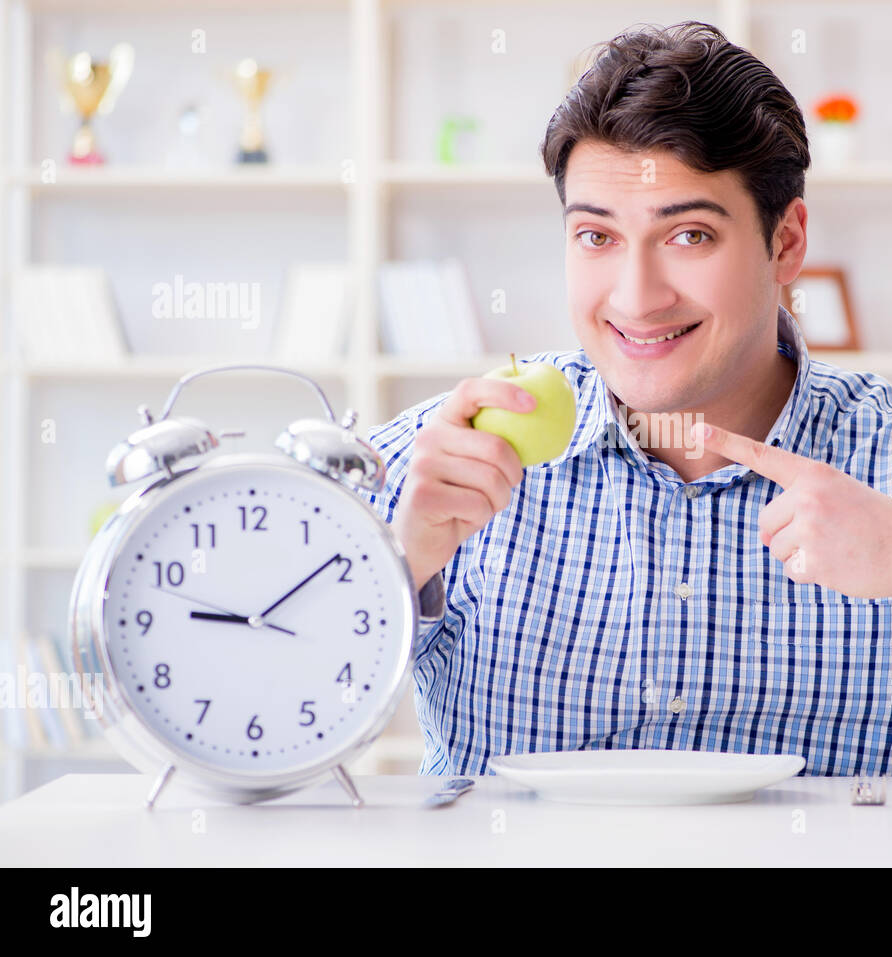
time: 9:09
